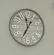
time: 11:35
